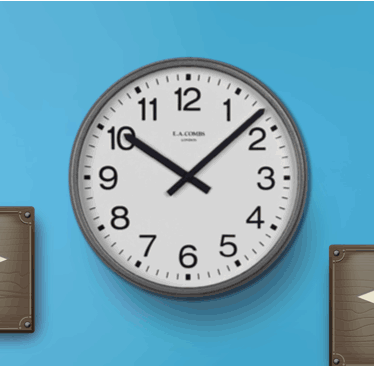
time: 10:07
